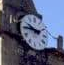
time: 9:45
